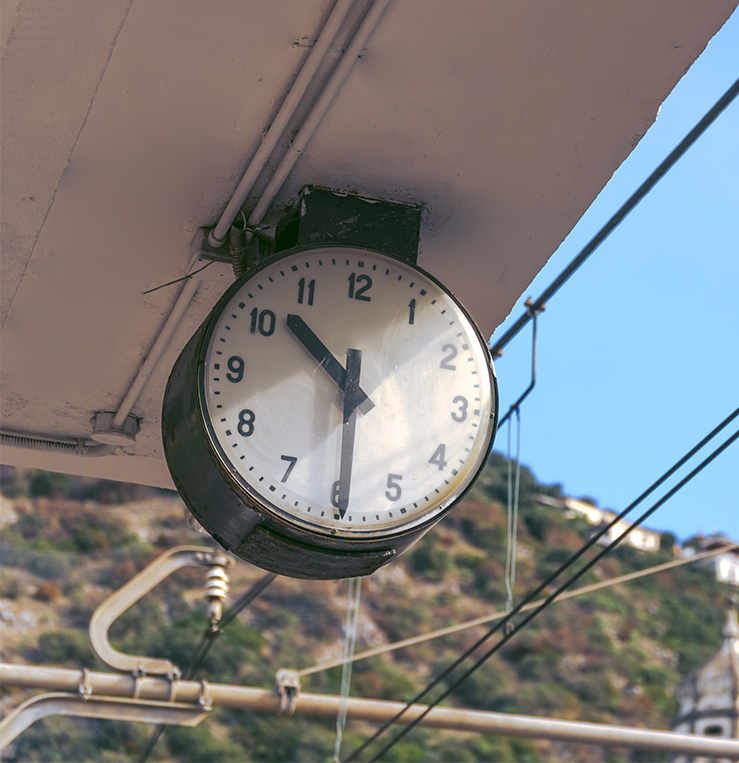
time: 10:29
